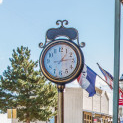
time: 1:13
